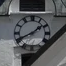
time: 1:41
